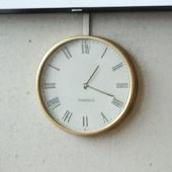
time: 1:18
